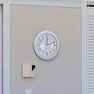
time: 12:11
